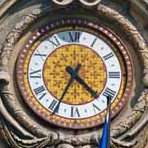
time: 4:34
